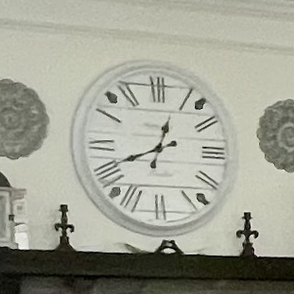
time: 12:41
